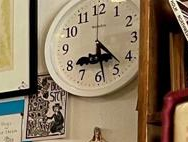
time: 4:28
